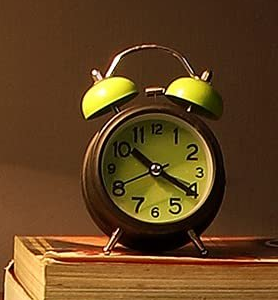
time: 10:19
